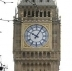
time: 10:05
